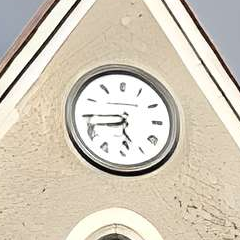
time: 5:44
